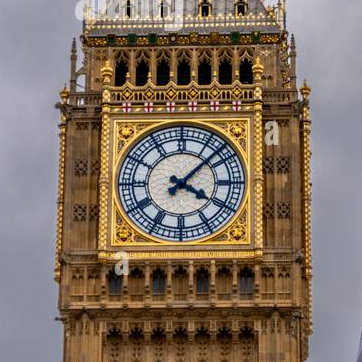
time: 4:07
